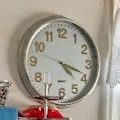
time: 4:18
